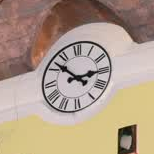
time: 2:52
